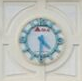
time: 4:31
